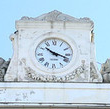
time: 10:18
